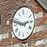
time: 2:48
